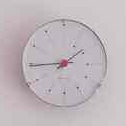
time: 1:44
